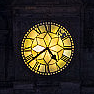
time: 4:39
